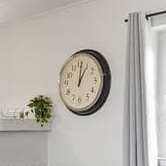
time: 1:01
